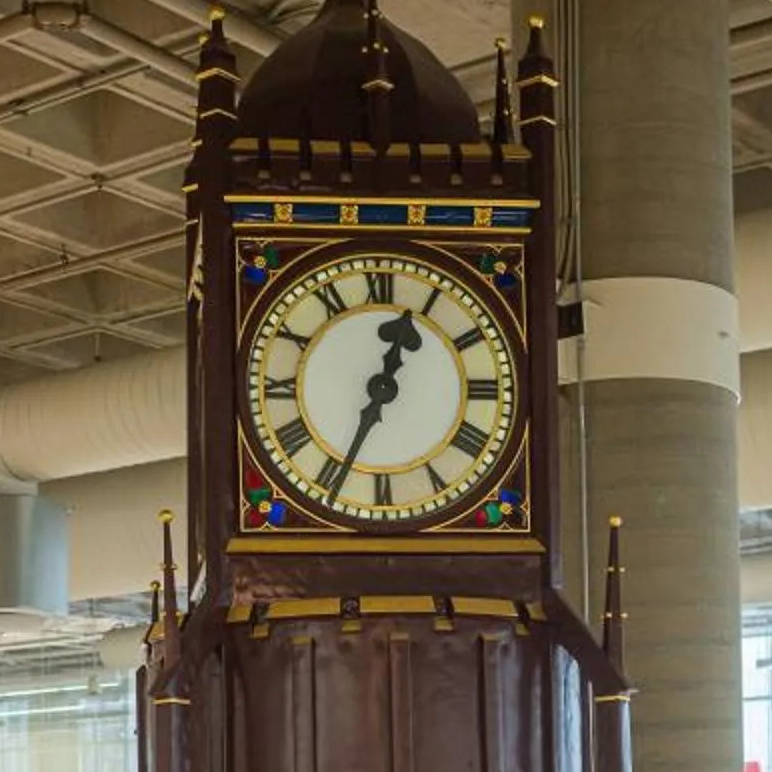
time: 12:34
